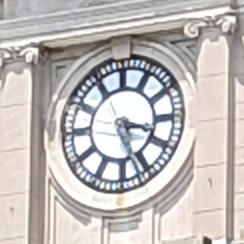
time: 3:26
